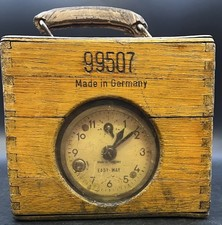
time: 1:08
